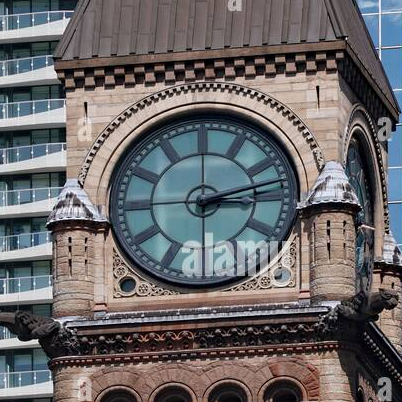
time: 3:12
